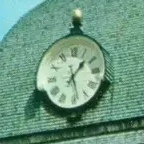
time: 1:28
